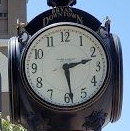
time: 2:28
